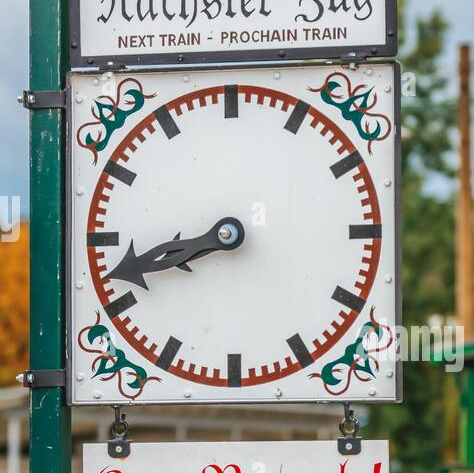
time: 8:42
